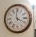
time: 3:58
